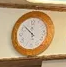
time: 11:52
